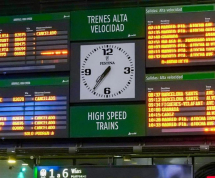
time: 7:36
